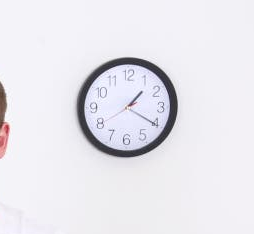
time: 1:20
